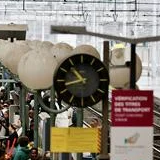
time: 10:42
